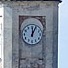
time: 12:04
